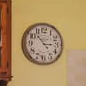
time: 2:53
